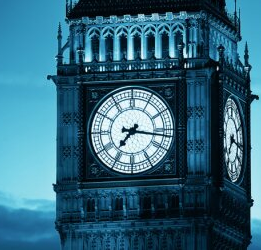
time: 7:16
